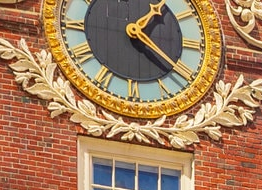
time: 1:21
